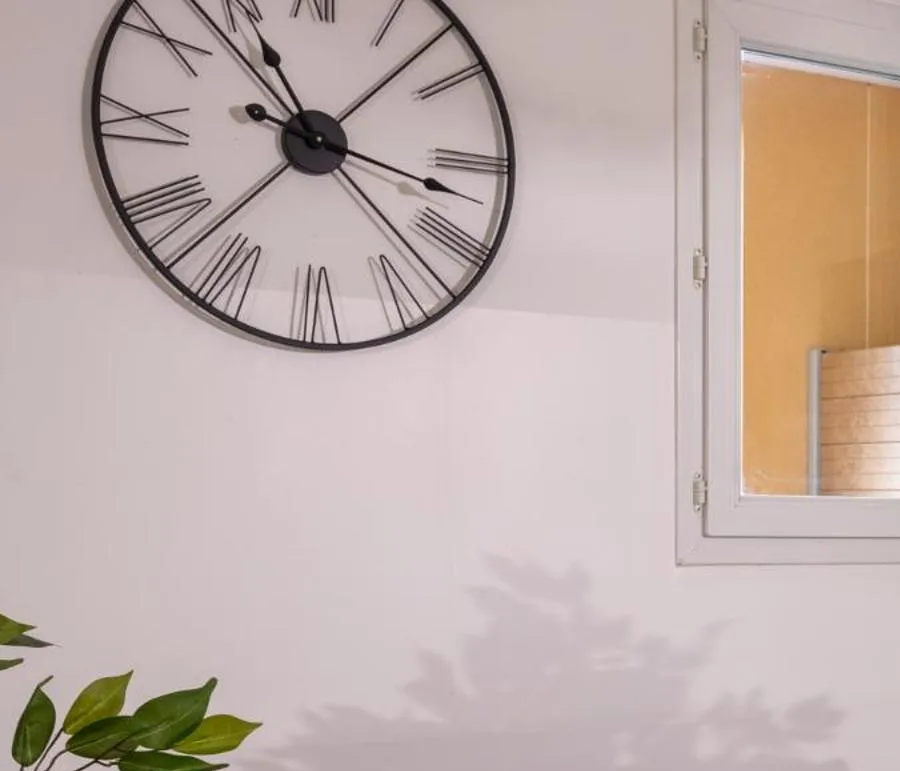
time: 11:17
